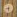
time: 8:27
